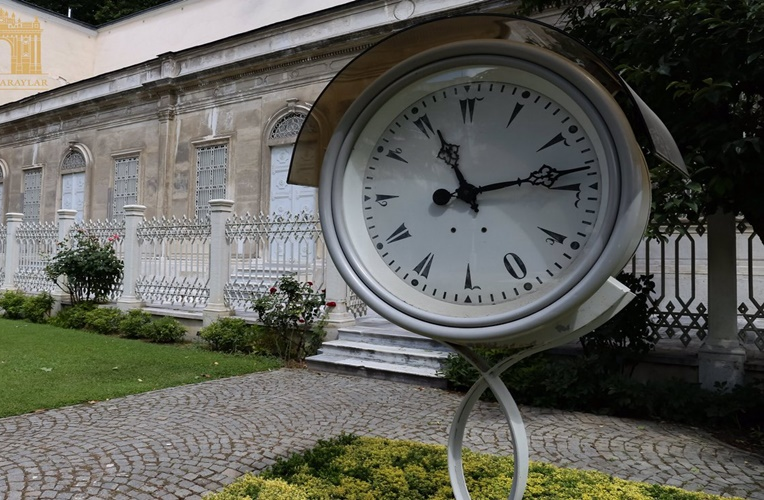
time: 11:13
